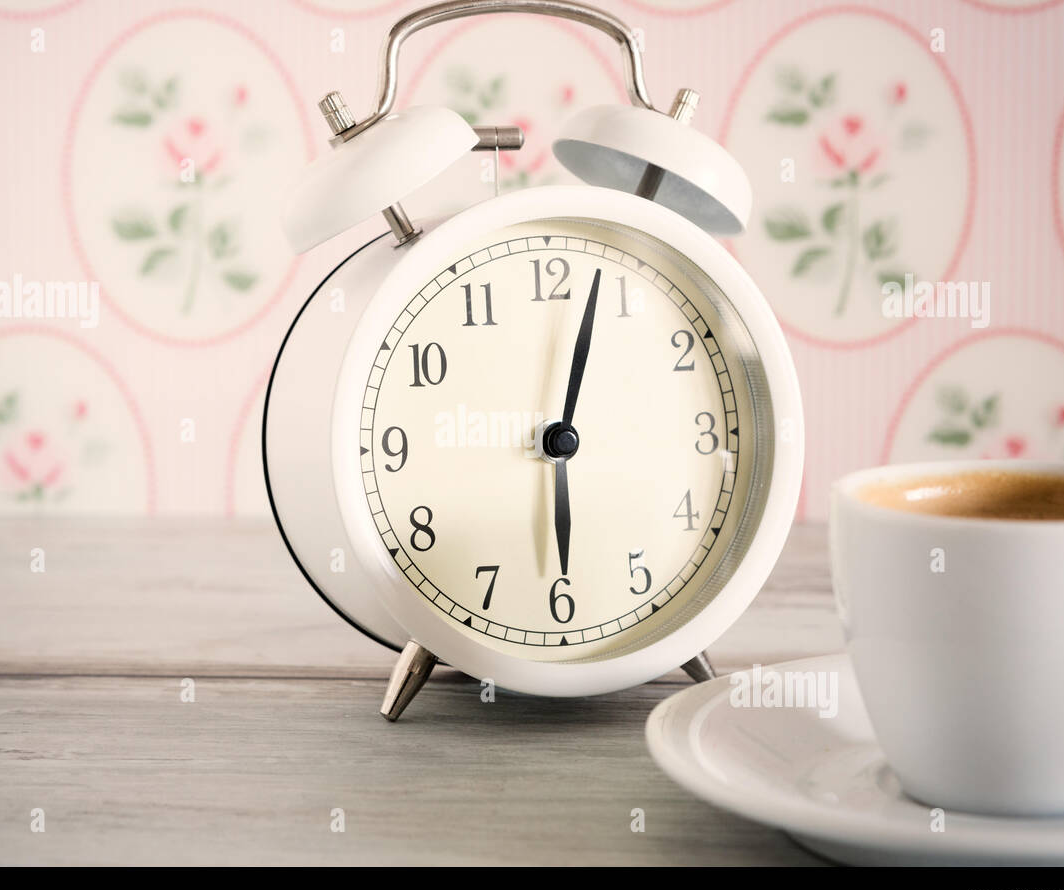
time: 6:03
